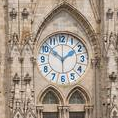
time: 1:51
